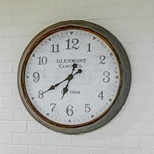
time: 6:39
